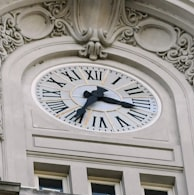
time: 3:34
